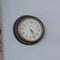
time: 4:26
